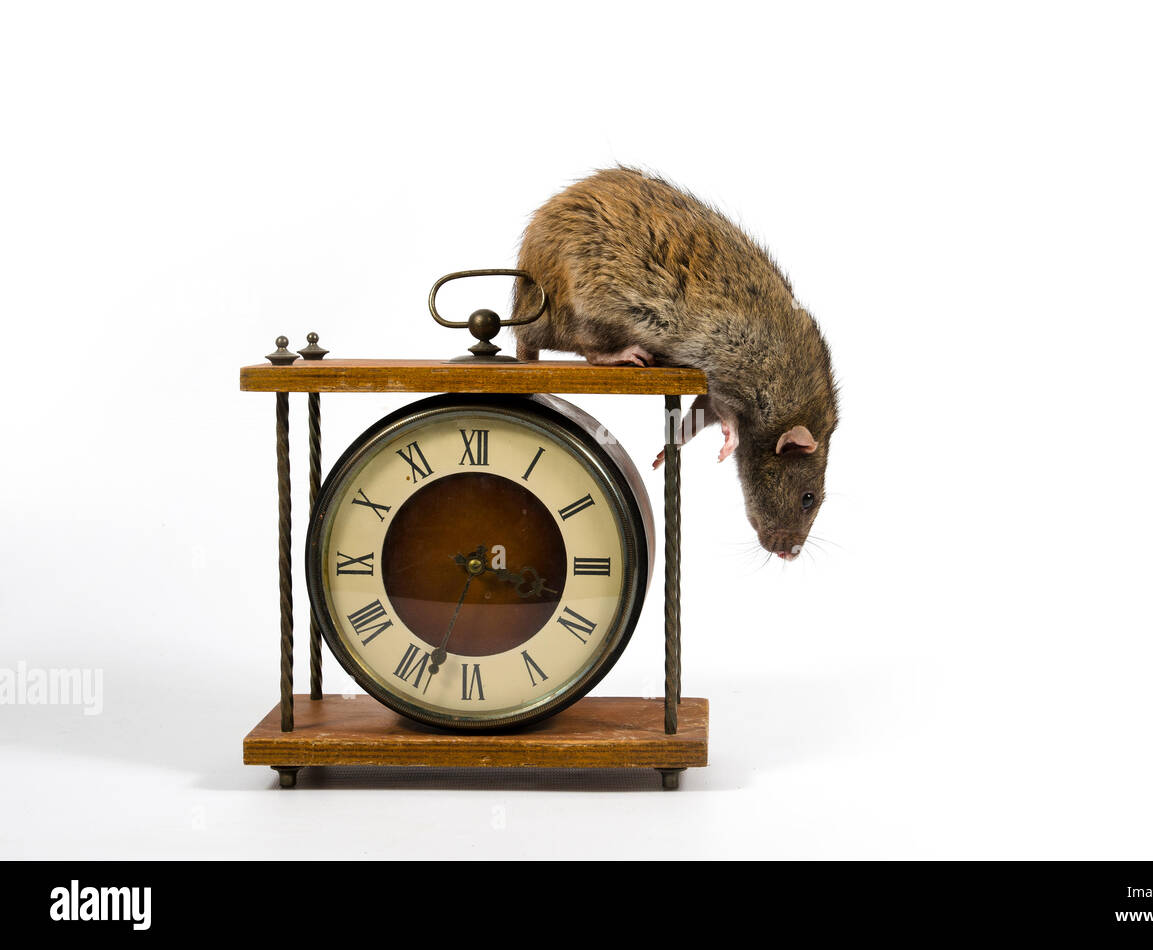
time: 3:33
